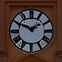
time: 1:49
